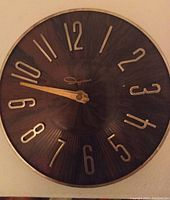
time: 9:48
